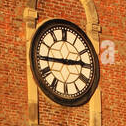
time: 2:45
